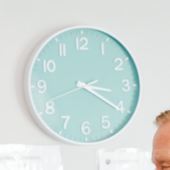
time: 3:20
